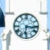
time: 6:16
